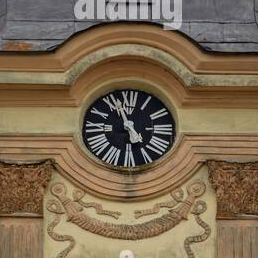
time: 4:56
